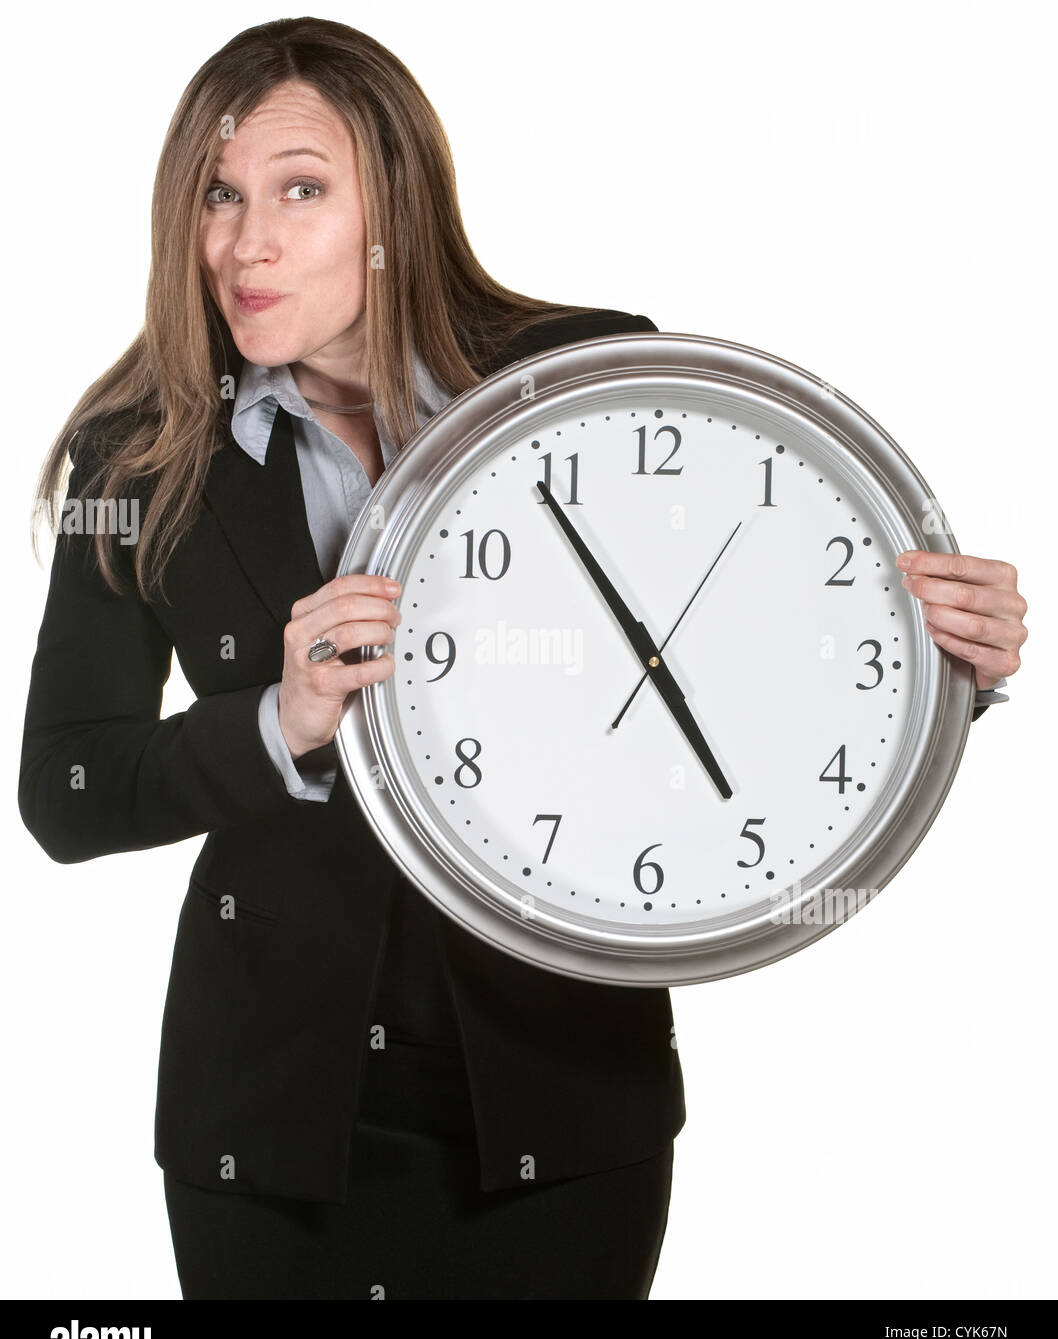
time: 4:54
